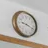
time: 9:18
